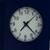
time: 7:22
